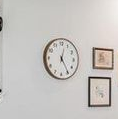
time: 12:24
